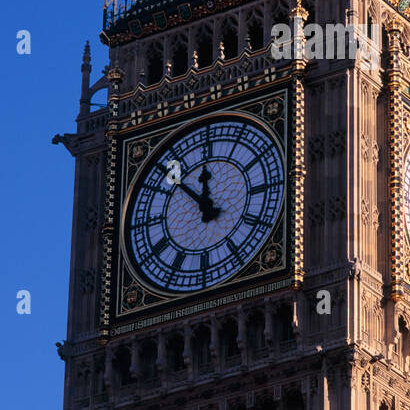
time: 11:52
